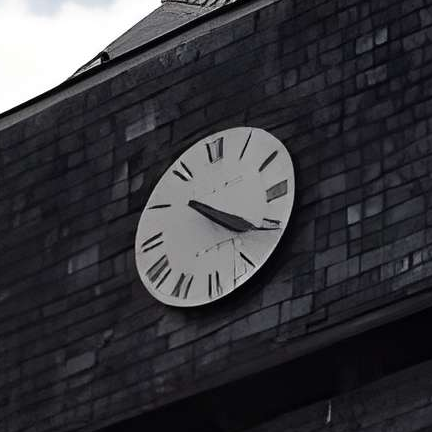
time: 4:20
